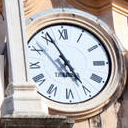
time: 4:55
